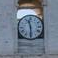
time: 11:29
